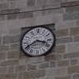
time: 3:40
